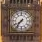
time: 7:36
